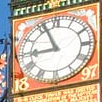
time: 8:56
